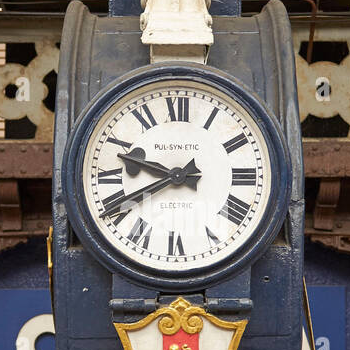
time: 9:41
